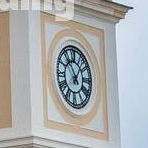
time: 11:07
